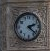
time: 2:21
